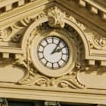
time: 2:05
